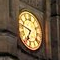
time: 6:46
